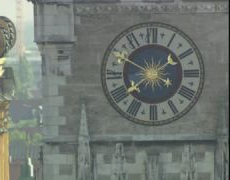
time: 1:50
